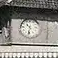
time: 10:32
